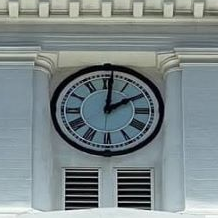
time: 2:00
